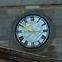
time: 7:15
